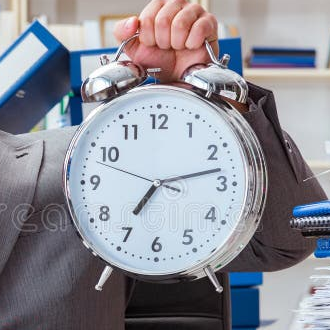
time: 7:13
